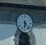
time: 6:23
